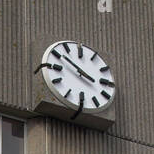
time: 3:51
